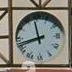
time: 11:42
